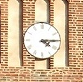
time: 4:14
